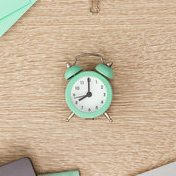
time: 8:00
